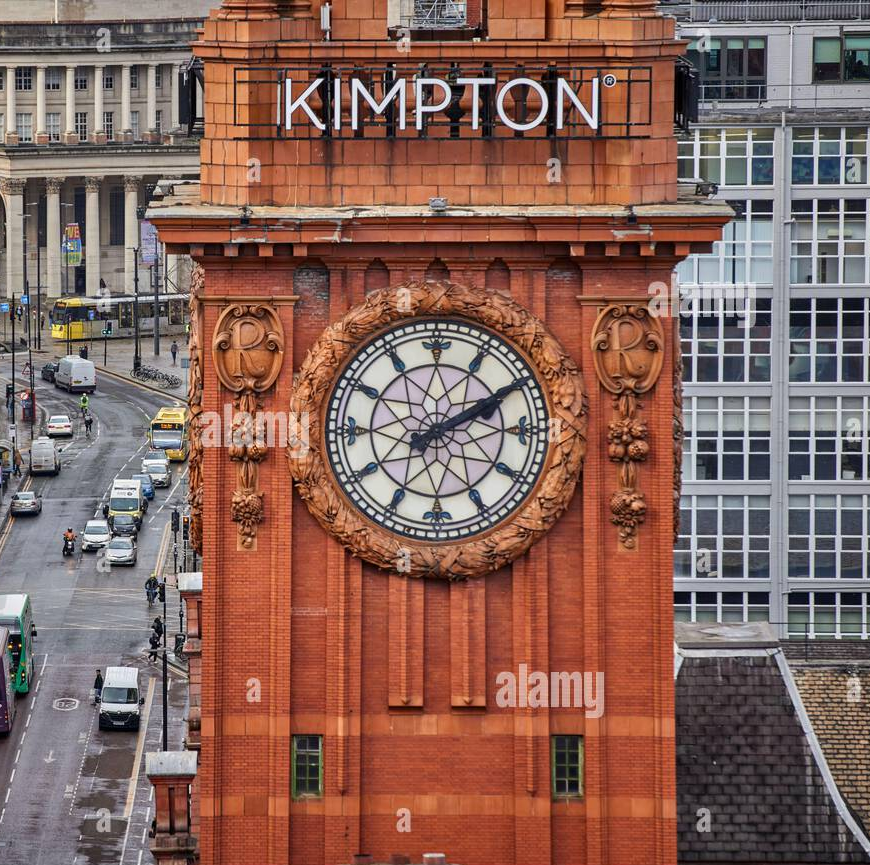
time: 2:09
